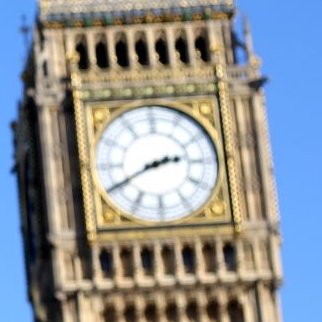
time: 2:40
